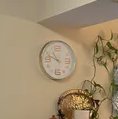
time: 10:48
